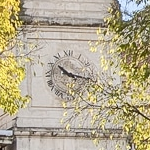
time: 10:17
